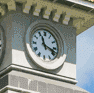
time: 11:17
